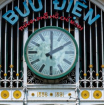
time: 2:00
